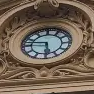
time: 5:46
